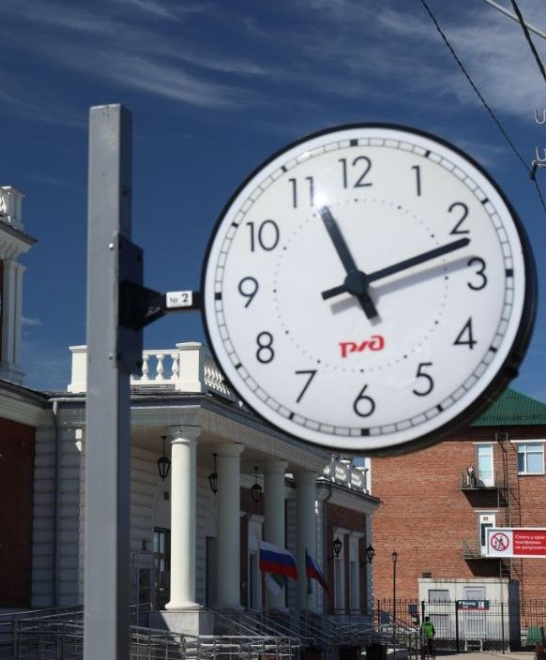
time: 11:12
